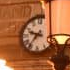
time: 9:36
